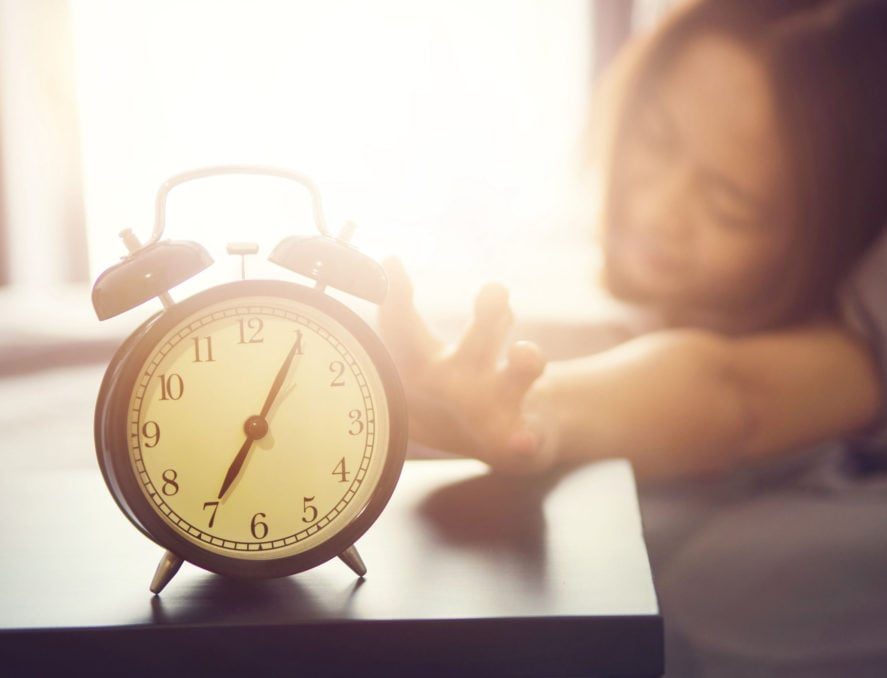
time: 7:05
